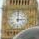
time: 3:00
